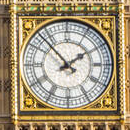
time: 1:53
